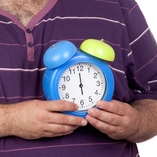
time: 5:59
